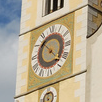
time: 10:22
